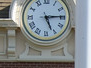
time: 5:14
